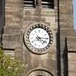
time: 4:14
